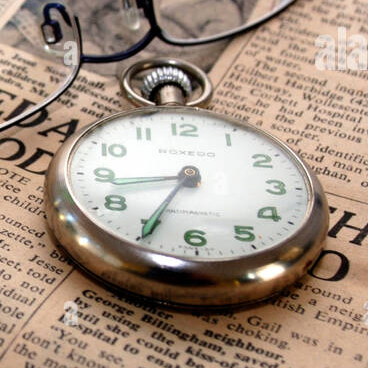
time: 8:34
